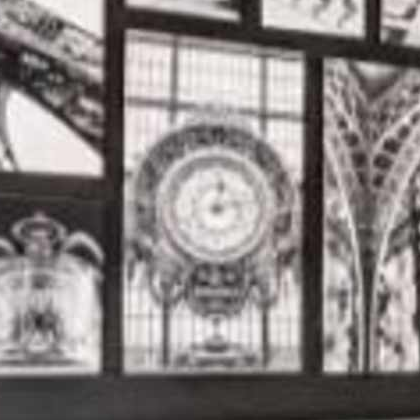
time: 12:12
